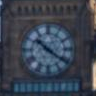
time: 10:20
